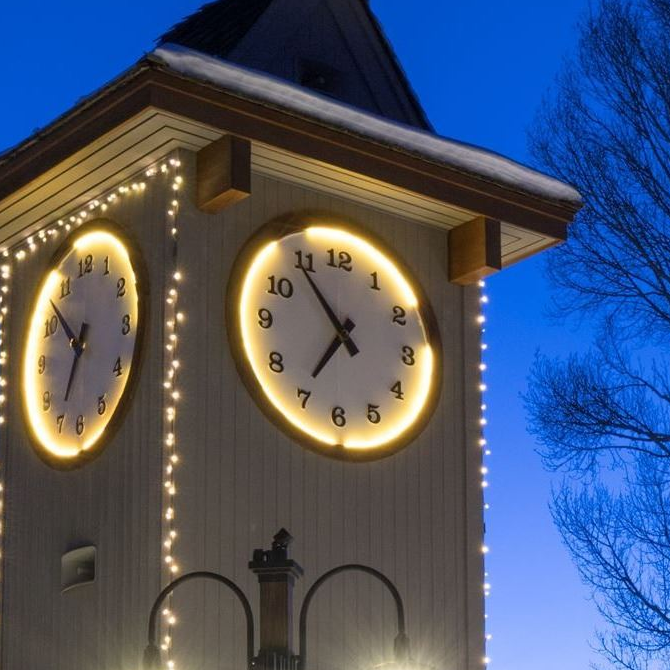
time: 6:54
